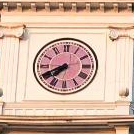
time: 7:41
